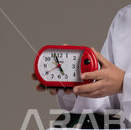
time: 4:57
